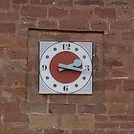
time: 2:17
